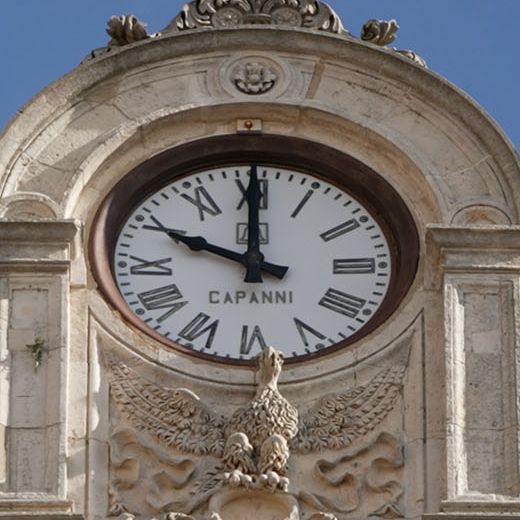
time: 10:00
